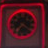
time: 7:20
